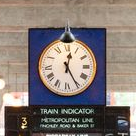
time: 12:25
